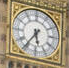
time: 5:36
